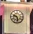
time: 9:28
